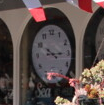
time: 10:14
